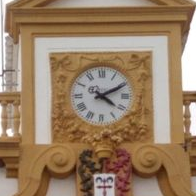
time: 4:10
